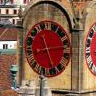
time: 11:13
